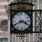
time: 3:40
